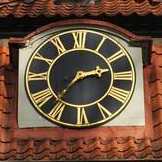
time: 2:37
